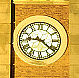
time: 9:21
